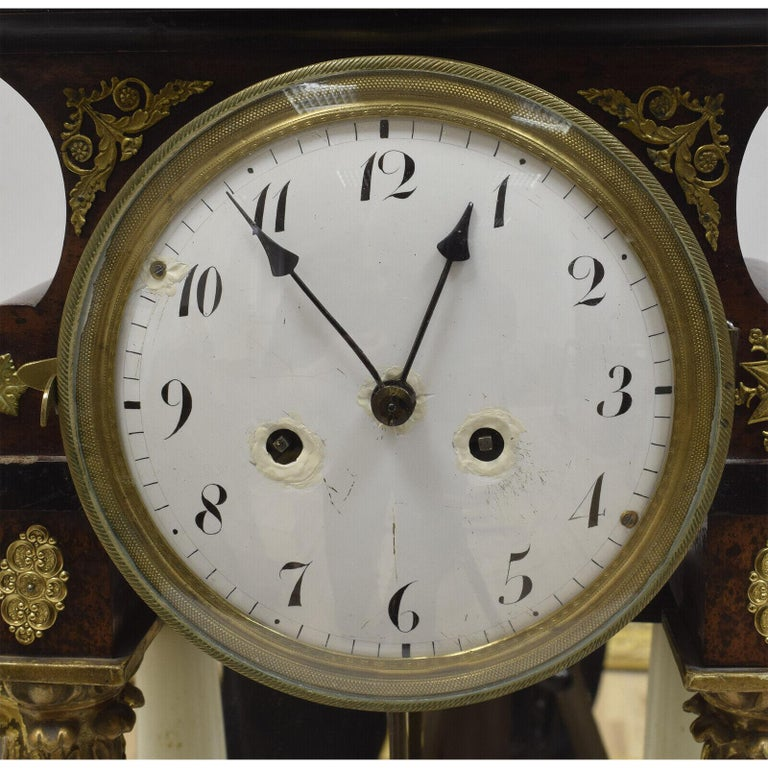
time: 12:53
